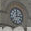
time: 12:13
